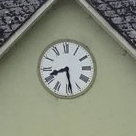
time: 8:28
